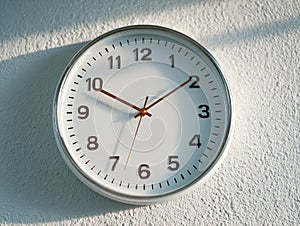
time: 1:49
